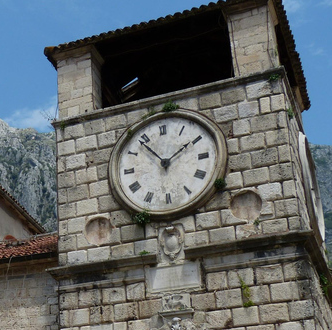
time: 1:53
